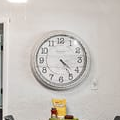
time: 4:23
